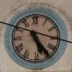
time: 5:24
